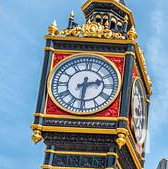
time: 2:30
